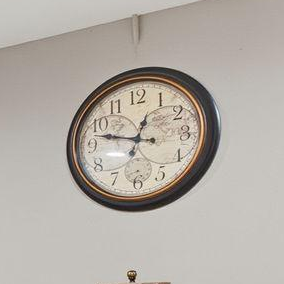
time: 12:47
